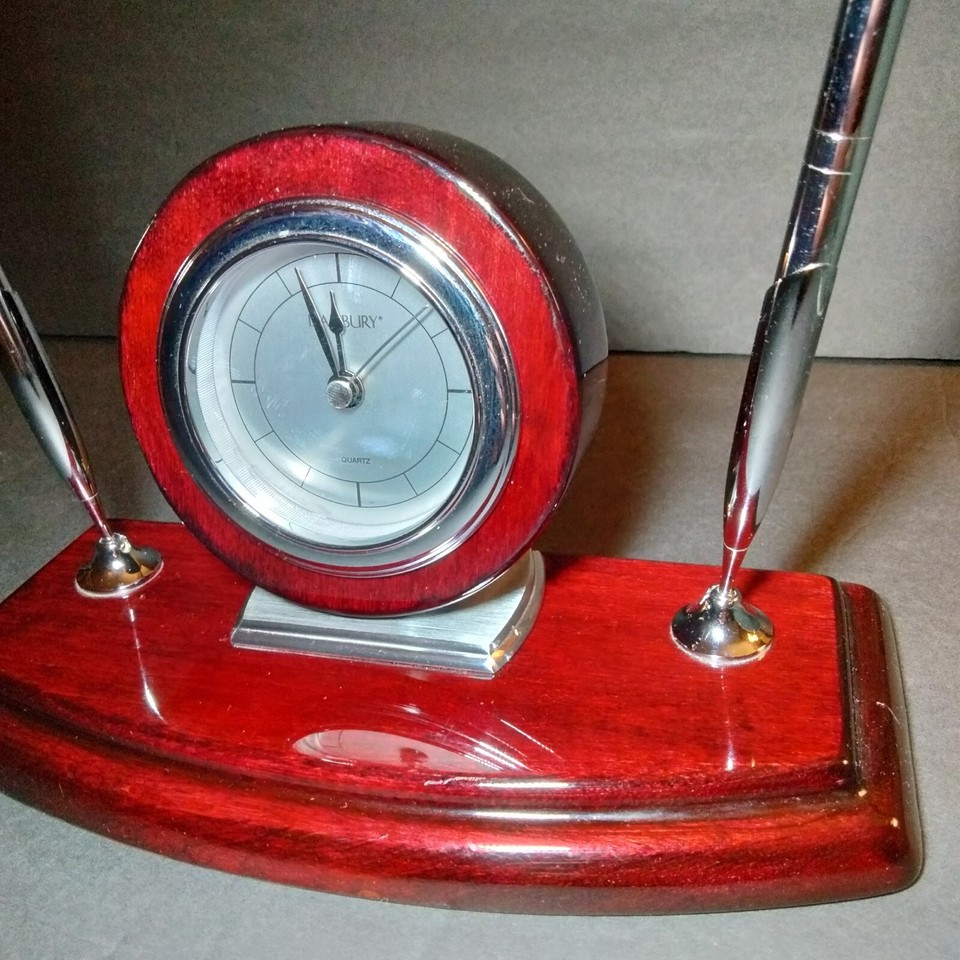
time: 11:56
